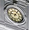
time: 9:05
